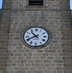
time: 10:40
